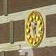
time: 12:28
